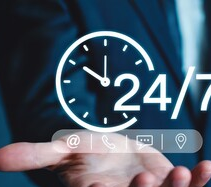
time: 11:50
